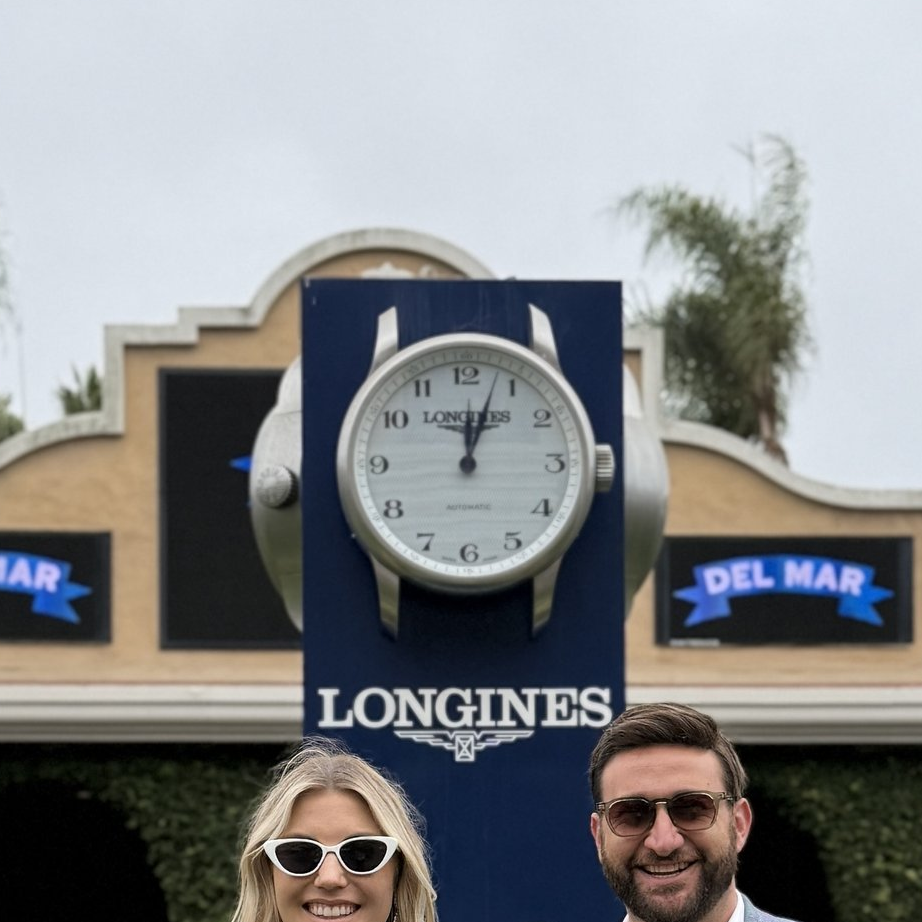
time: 12:03
